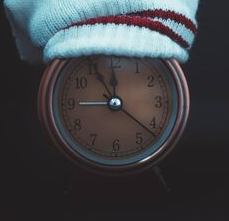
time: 11:55
